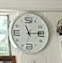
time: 11:14
